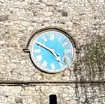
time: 4:49
